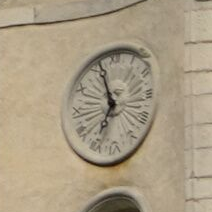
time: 6:56
